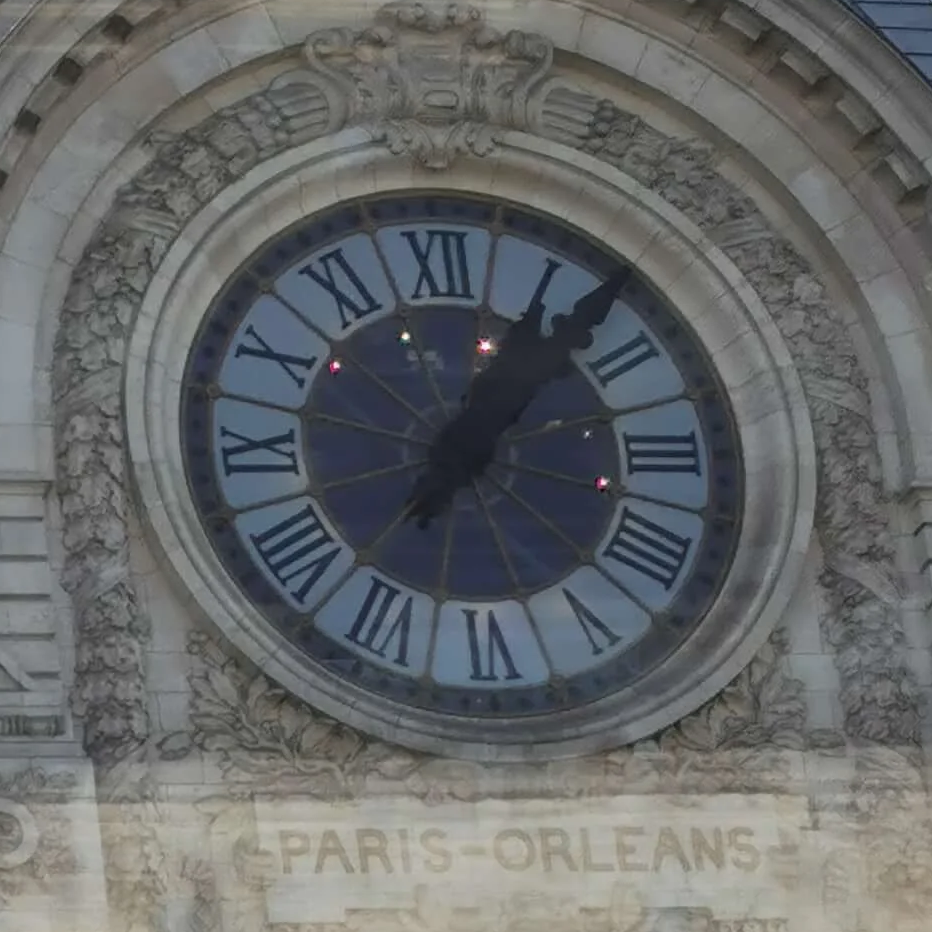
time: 1:07
